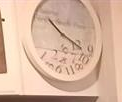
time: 10:20
